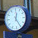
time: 12:24
